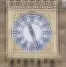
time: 11:26
